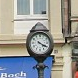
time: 4:19
